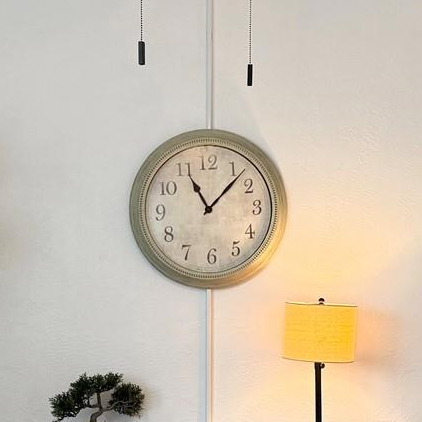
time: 11:07
